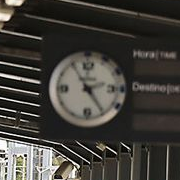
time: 2:24
